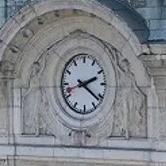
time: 2:21
